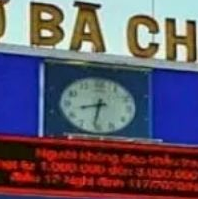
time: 8:31
